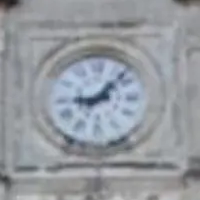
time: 9:07
